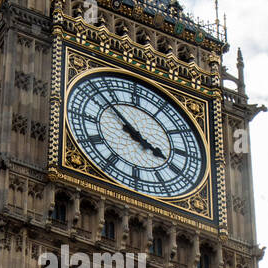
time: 3:52
